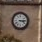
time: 3:14
